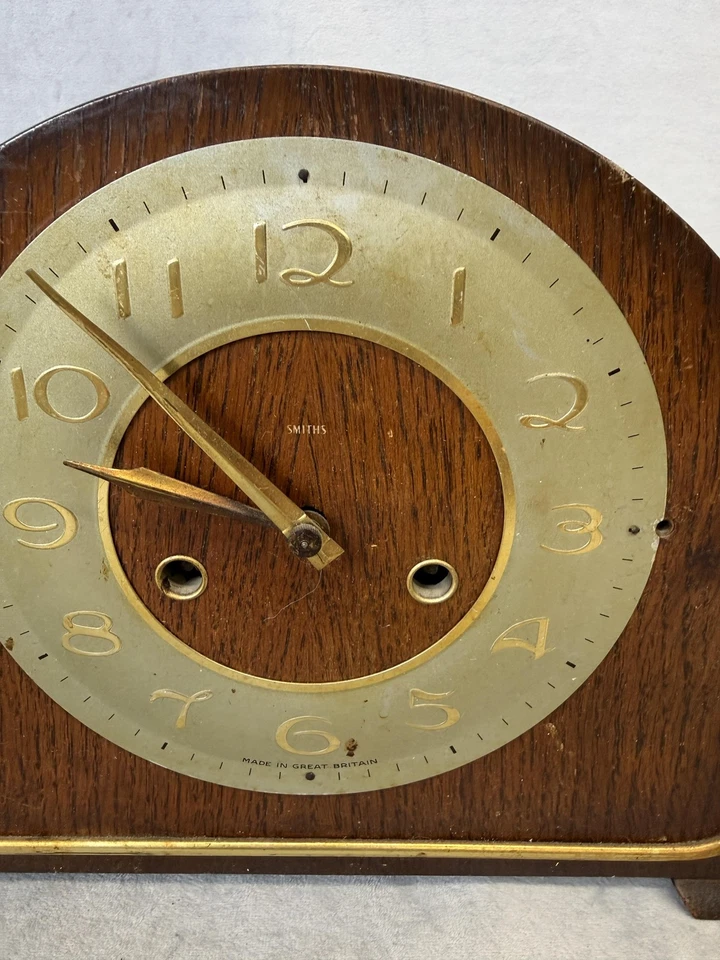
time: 9:52
